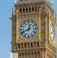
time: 12:41
